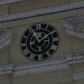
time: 11:09
